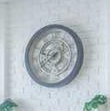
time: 8:38
